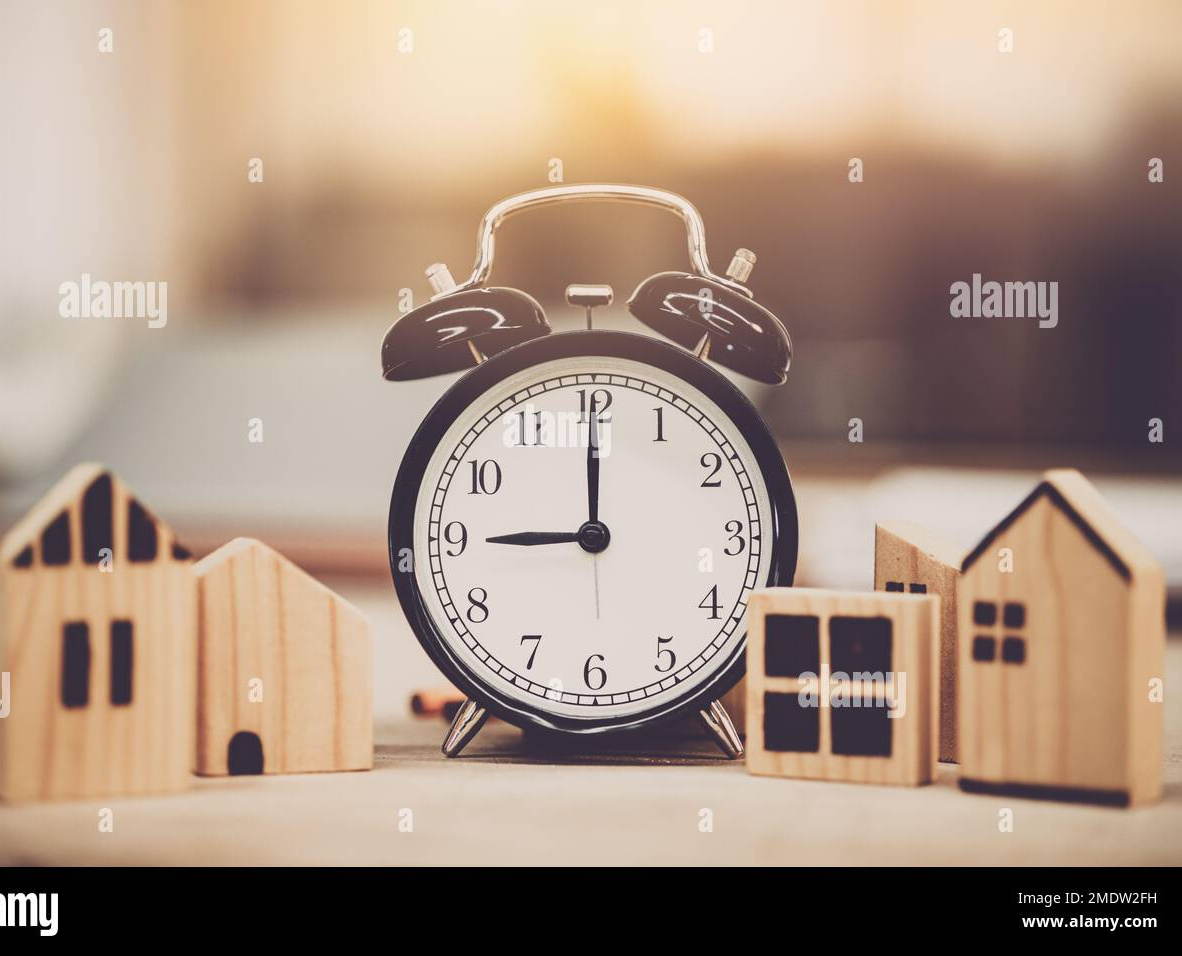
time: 9:00
